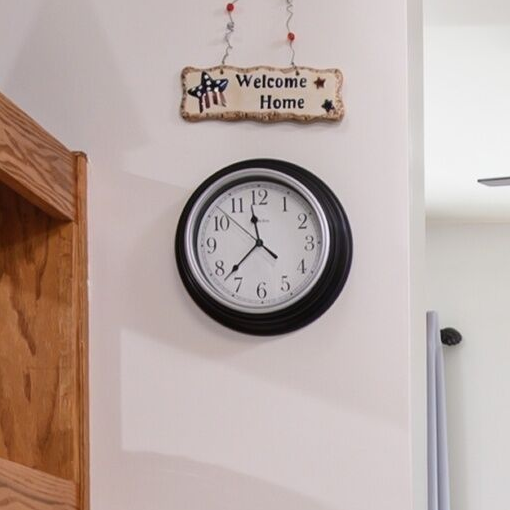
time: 11:37
